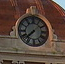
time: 7:37
